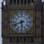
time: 5:41
